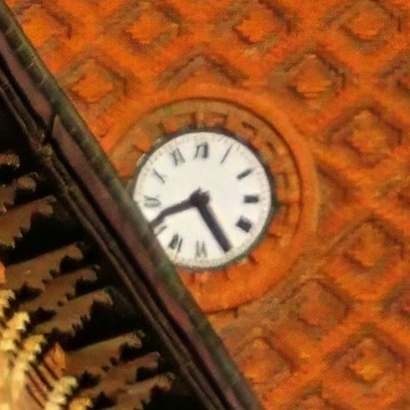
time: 8:24
